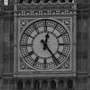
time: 12:23
